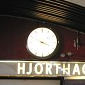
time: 3:49
